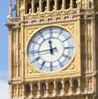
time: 11:44
